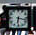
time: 6:17
